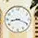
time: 8:18
